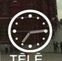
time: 7:14
